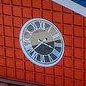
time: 2:38
